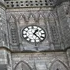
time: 1:23
